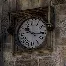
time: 10:15
